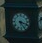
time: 5:18
